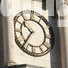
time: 10:36
